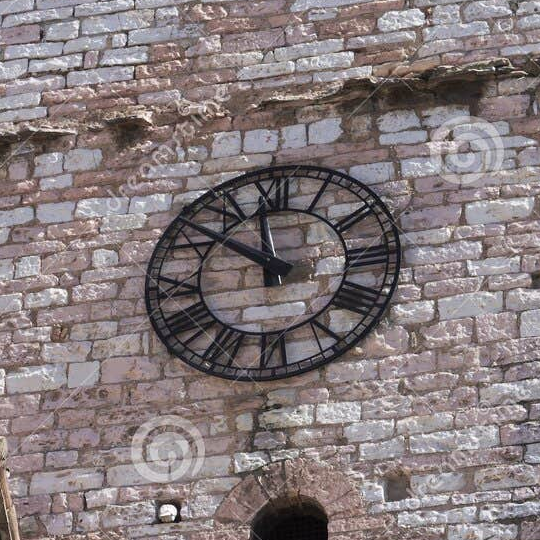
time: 11:51
